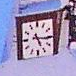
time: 5:15
